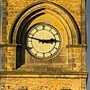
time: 2:47
